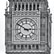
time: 2:50
